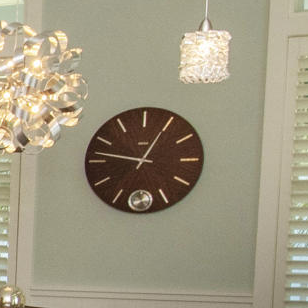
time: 12:46
